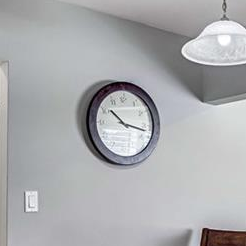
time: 10:17
